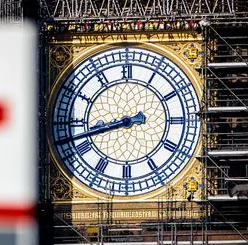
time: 8:42
